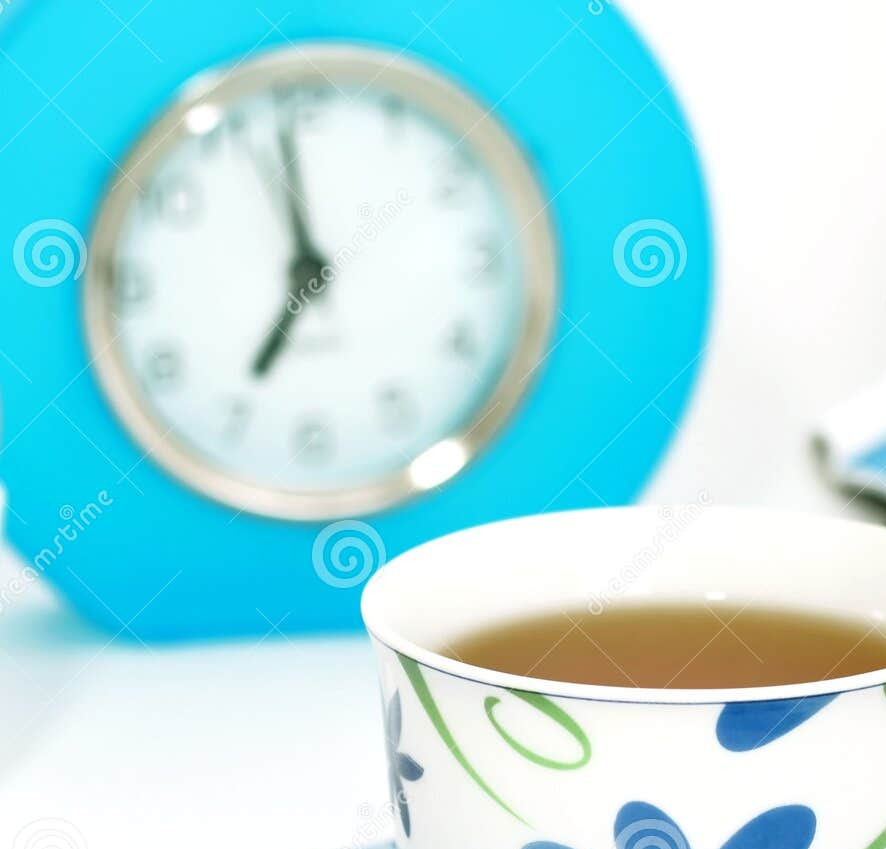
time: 6:58
